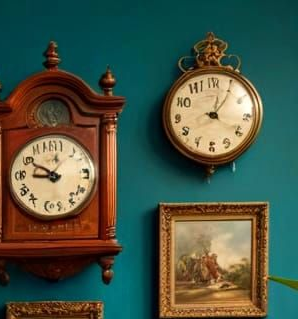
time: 1:02
